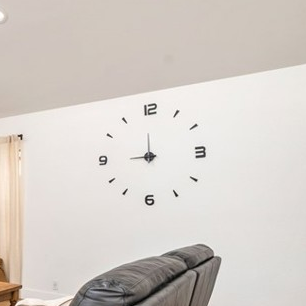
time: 8:59
